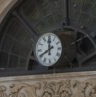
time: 11:40
